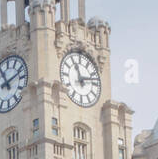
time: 11:12
